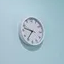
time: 9:35
